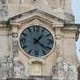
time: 1:21
